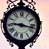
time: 9:17
